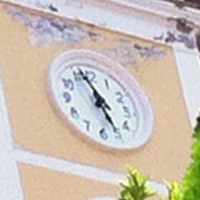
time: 4:56
